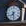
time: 7:28
